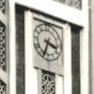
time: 3:34
